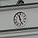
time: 11:26
